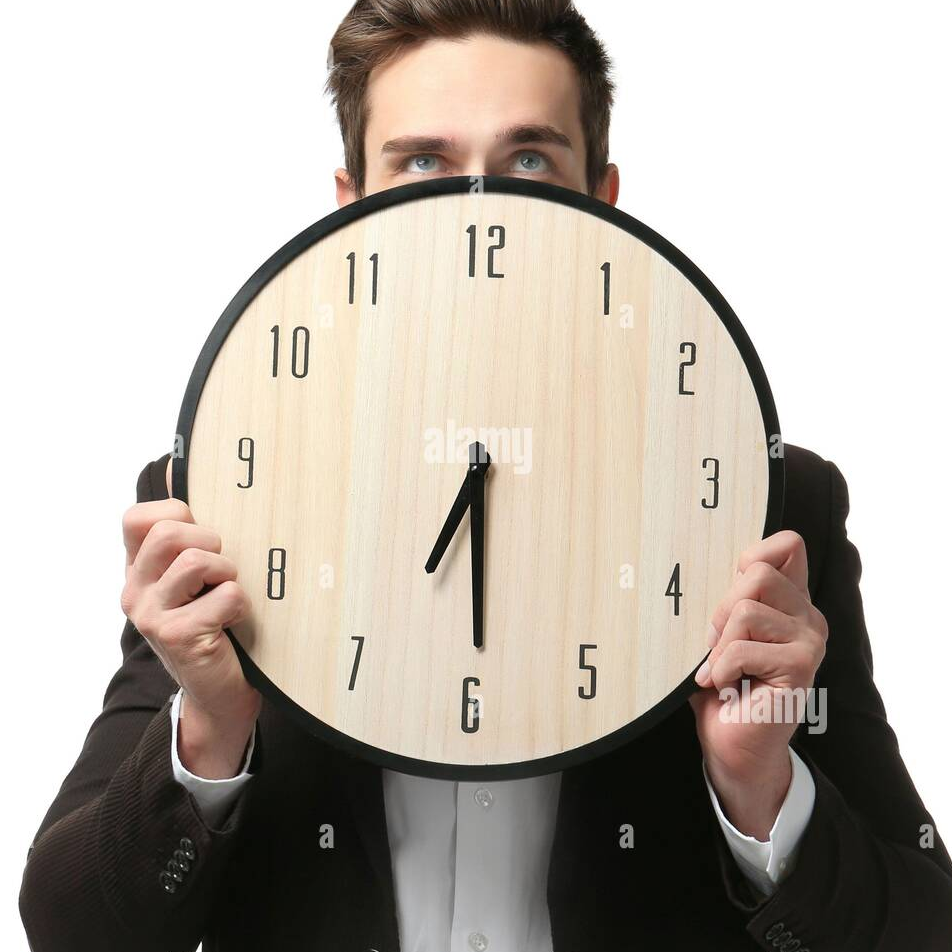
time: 6:29
